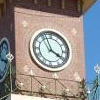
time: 3:56
